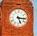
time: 5:15
